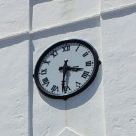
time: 3:30
